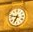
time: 6:47
